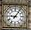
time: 9:05
